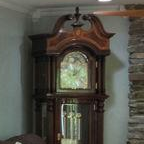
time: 8:07
